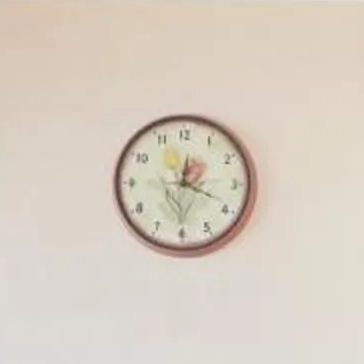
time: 12:18
